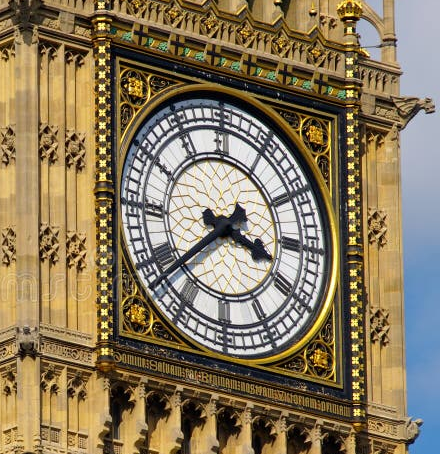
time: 3:38
